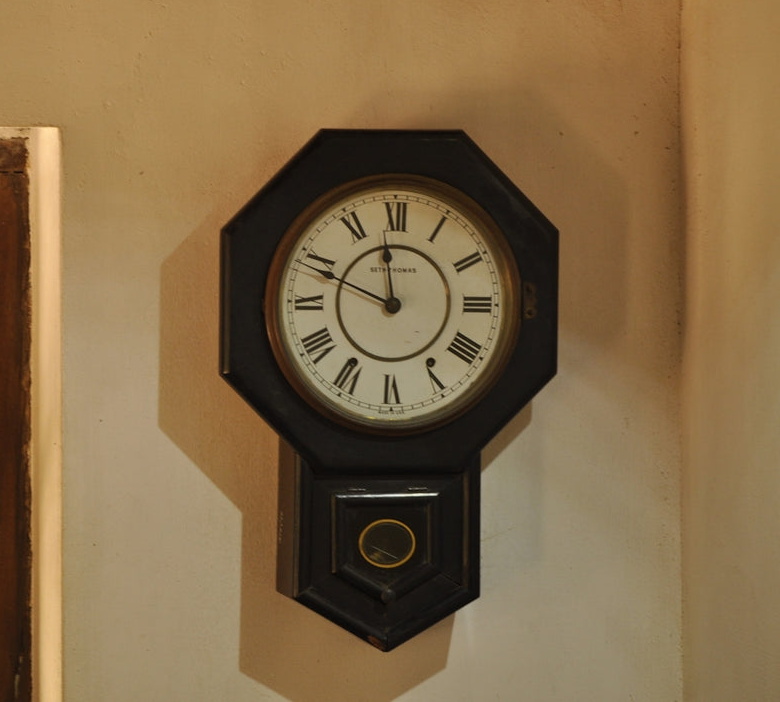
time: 11:48
